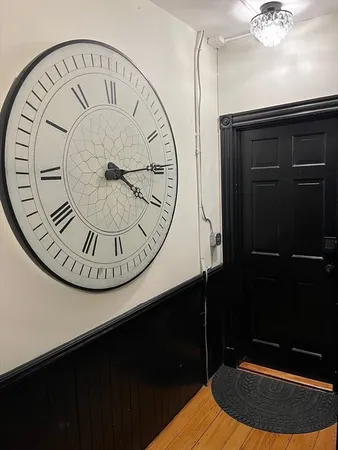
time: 4:14
